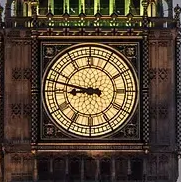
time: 8:47
